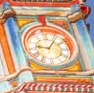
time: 9:05
